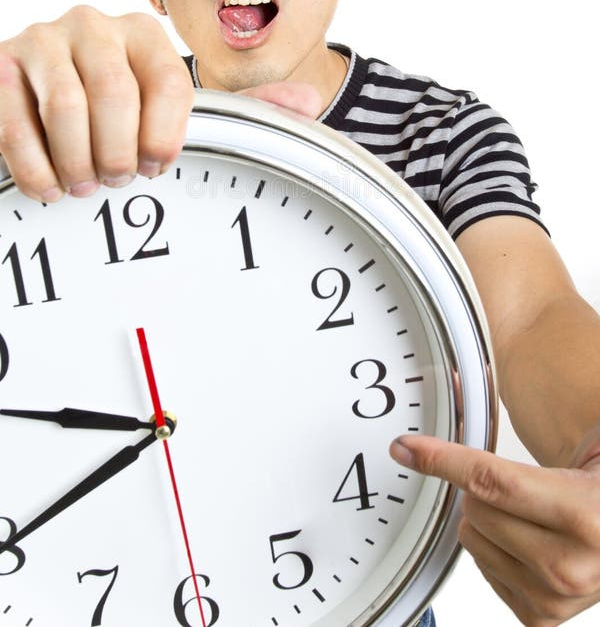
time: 9:40
